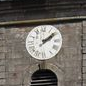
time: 2:08
